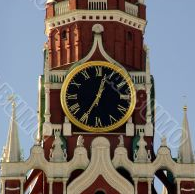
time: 12:34
